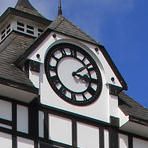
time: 3:08
